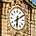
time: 6:10
